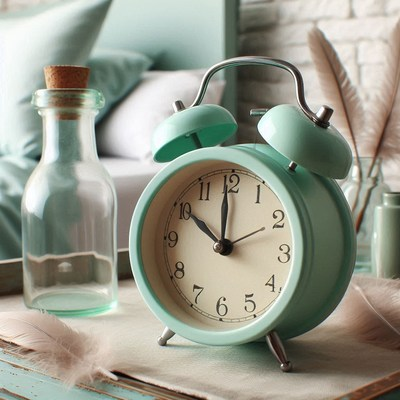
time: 9:59
